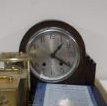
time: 1:21
